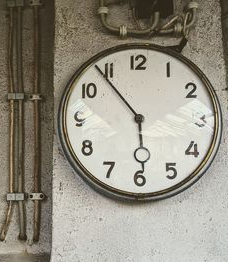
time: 5:53
